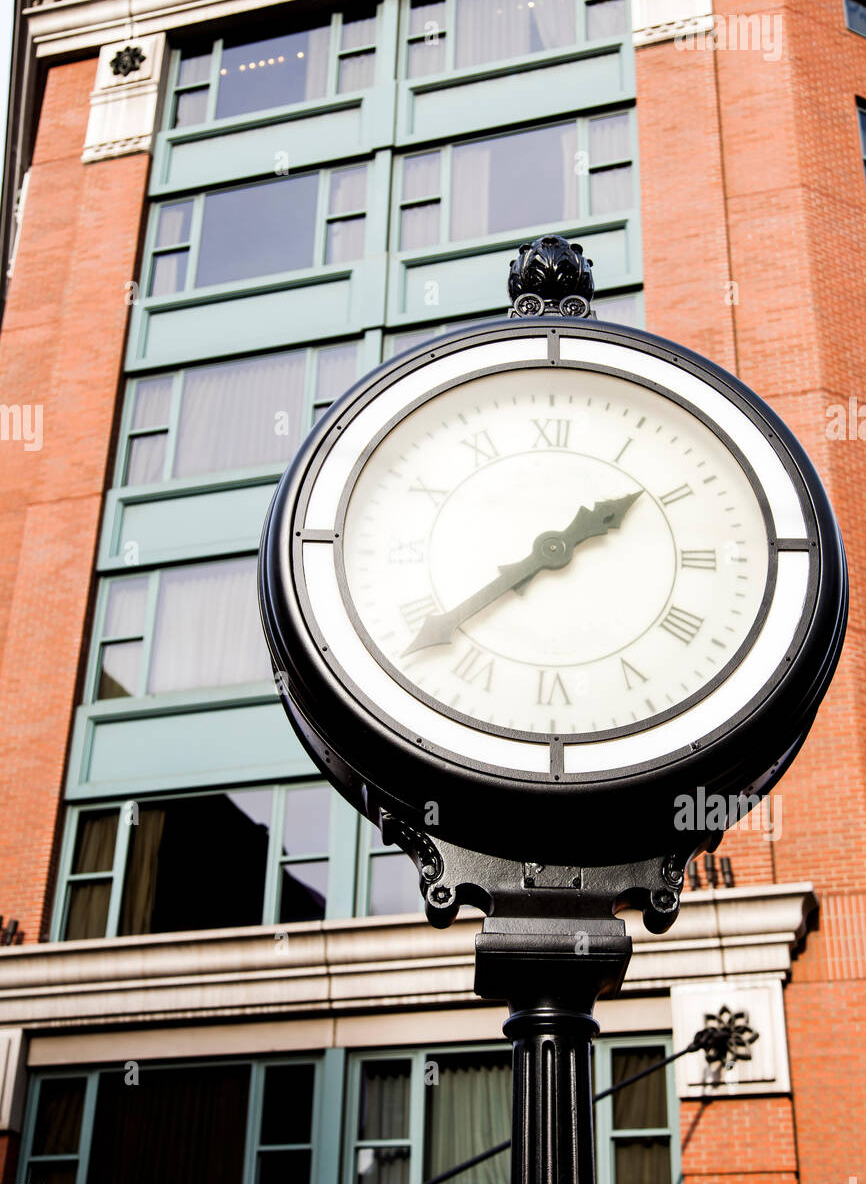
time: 1:38
